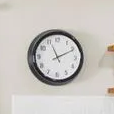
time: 11:10
